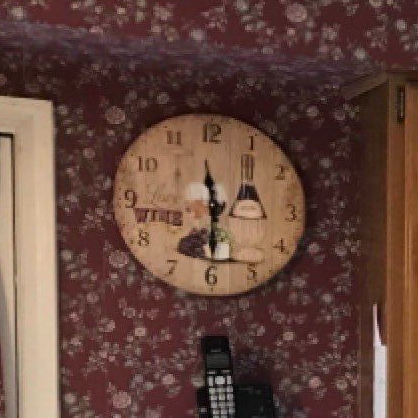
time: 11:30
